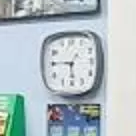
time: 5:45
